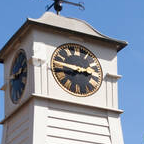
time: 2:46
